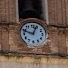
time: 12:48
